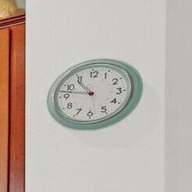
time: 10:47
